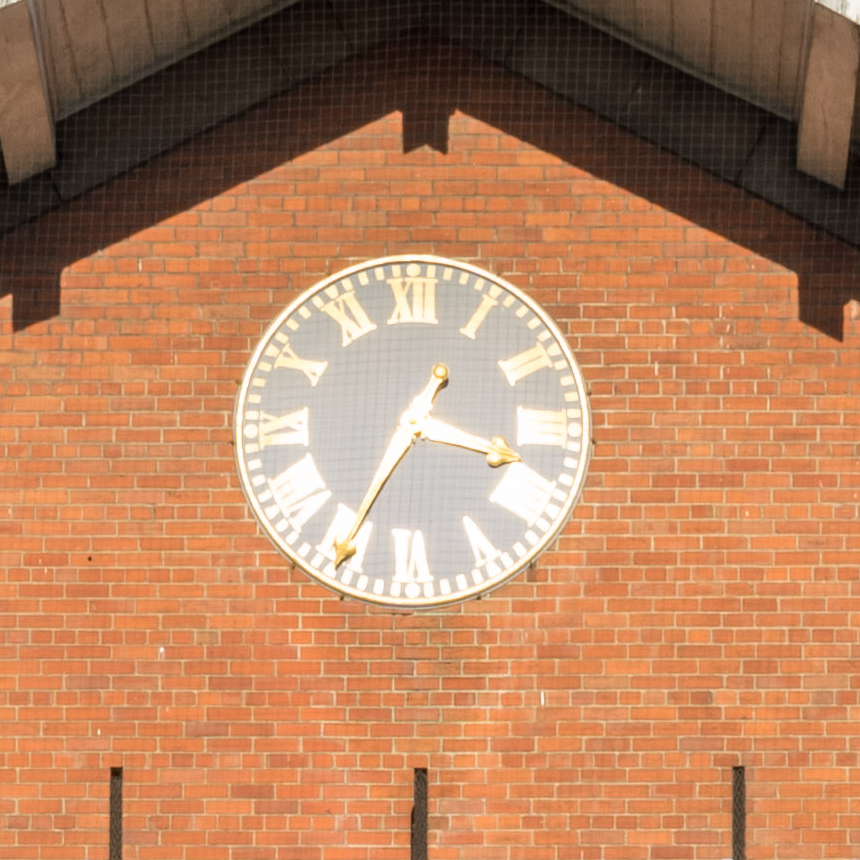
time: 3:35
